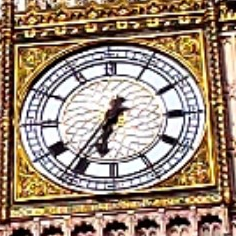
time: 6:36
